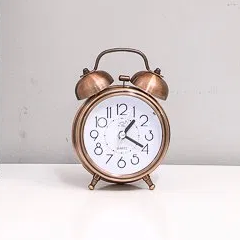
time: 1:19
